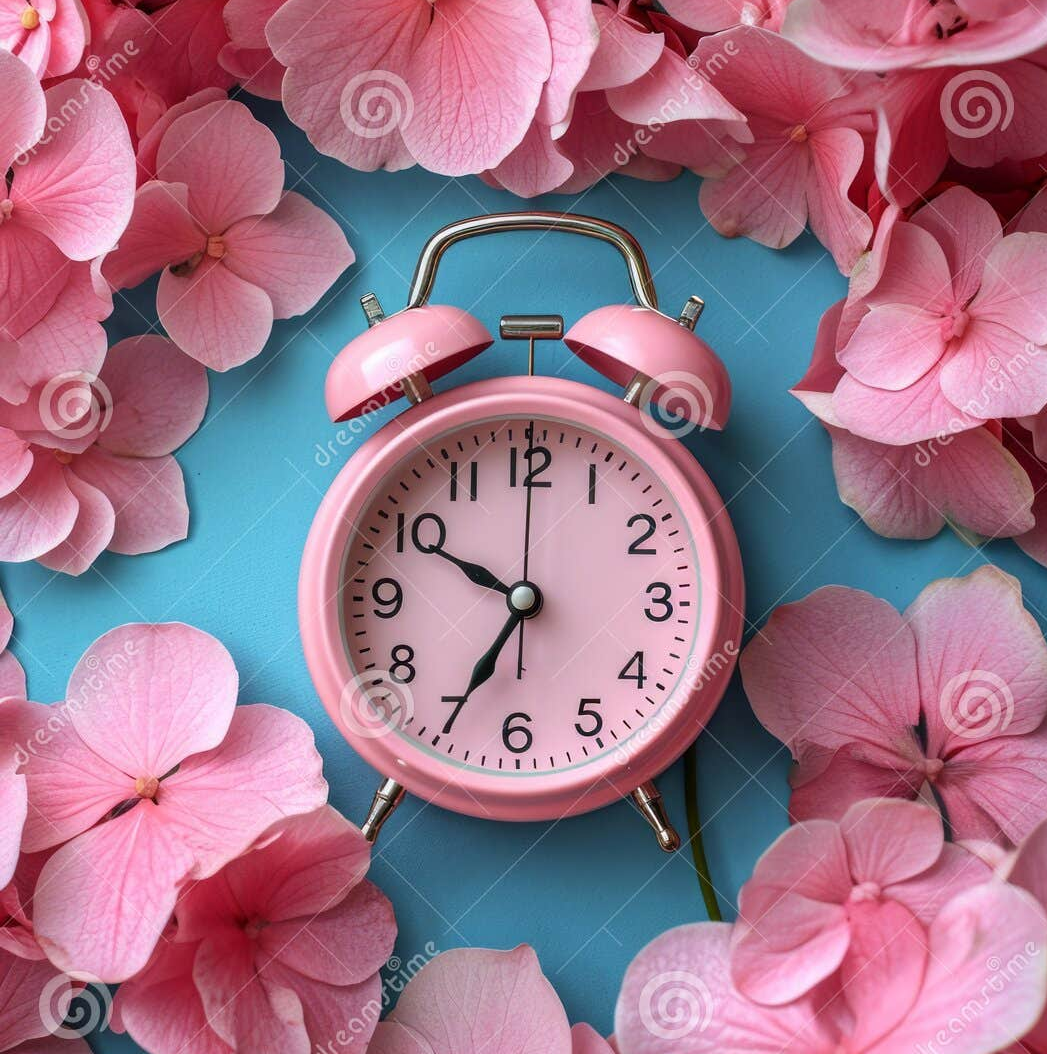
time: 6:50
